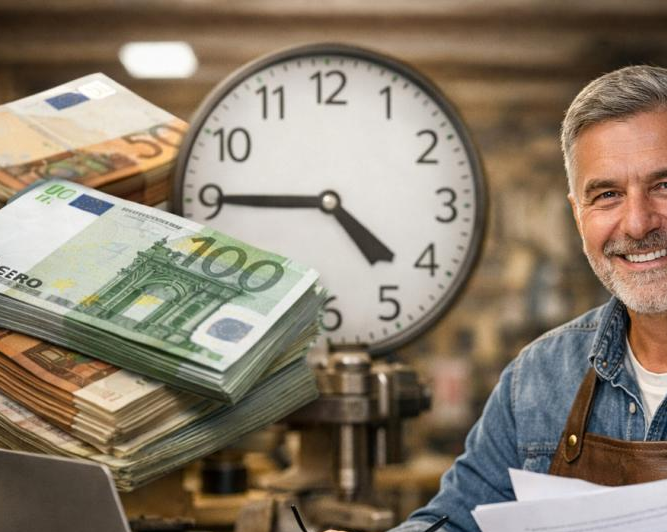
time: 4:45
